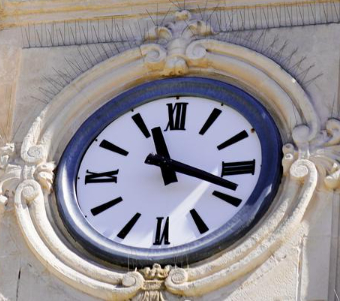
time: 11:18
